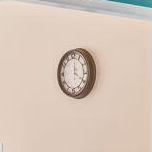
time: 12:19
